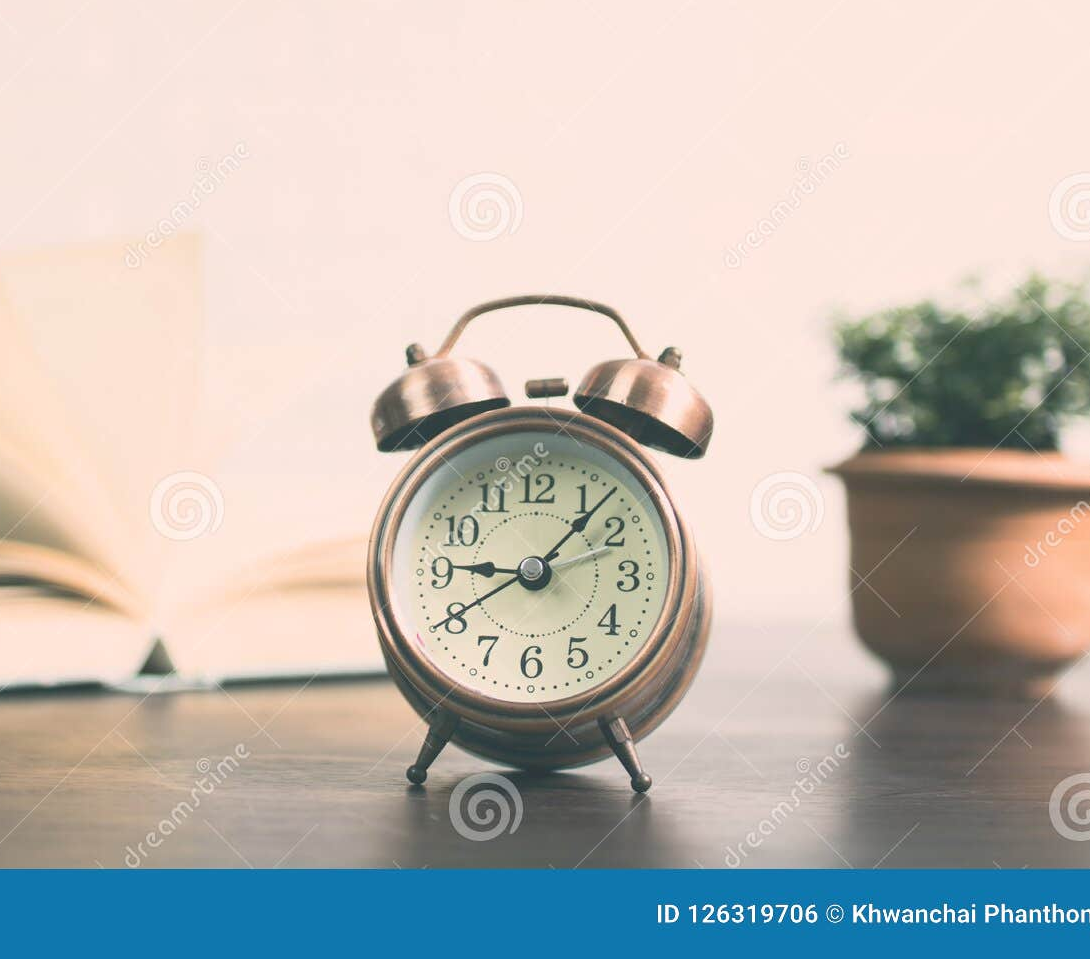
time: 9:07
